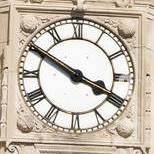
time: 3:50
